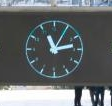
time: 11:13
